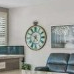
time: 4:34
